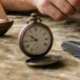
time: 9:43
